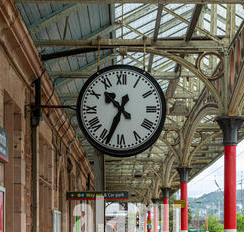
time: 10:34
